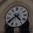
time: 4:39
